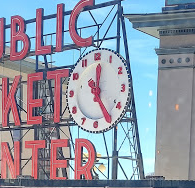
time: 12:24
